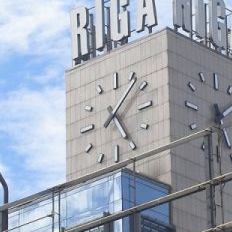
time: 5:07
